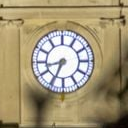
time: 8:34
